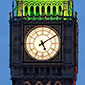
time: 5:09
